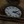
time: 2:18
